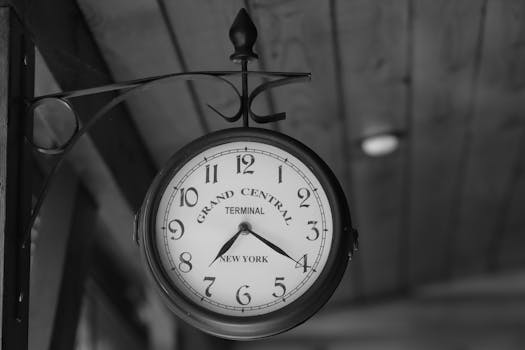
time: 7:20
